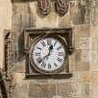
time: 12:38
